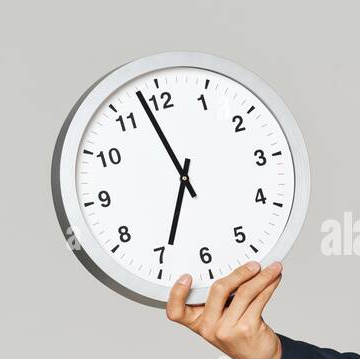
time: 6:57
